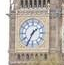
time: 1:34
